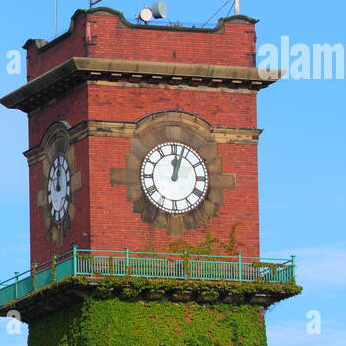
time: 12:03
